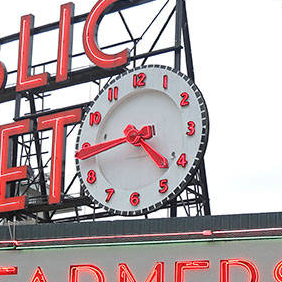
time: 4:43
